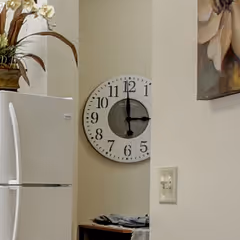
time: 2:59
